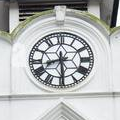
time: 8:29
